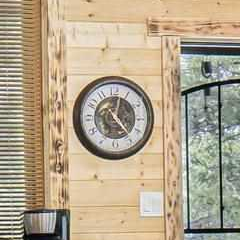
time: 12:23
